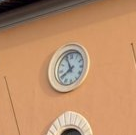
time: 7:55
